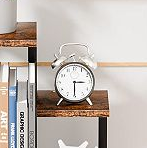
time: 3:30
